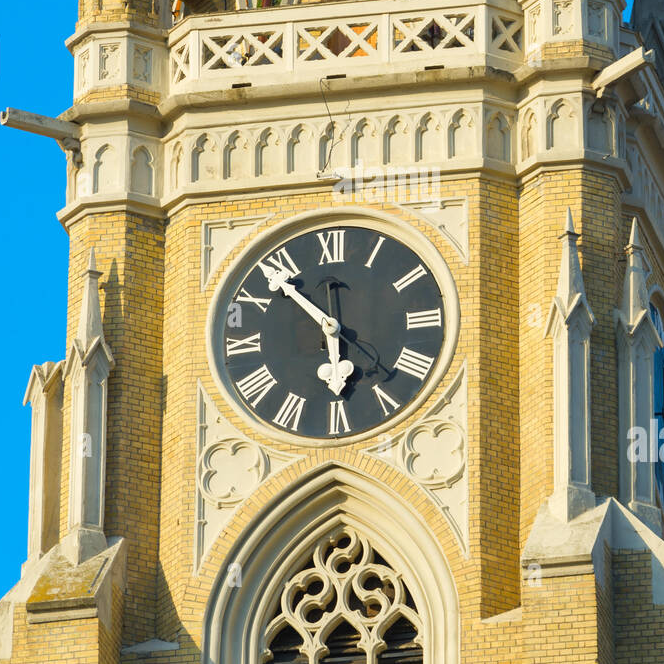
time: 5:53
